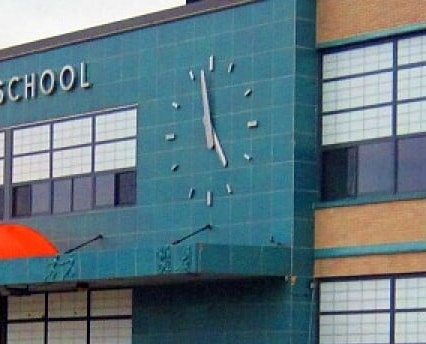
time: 4:57
